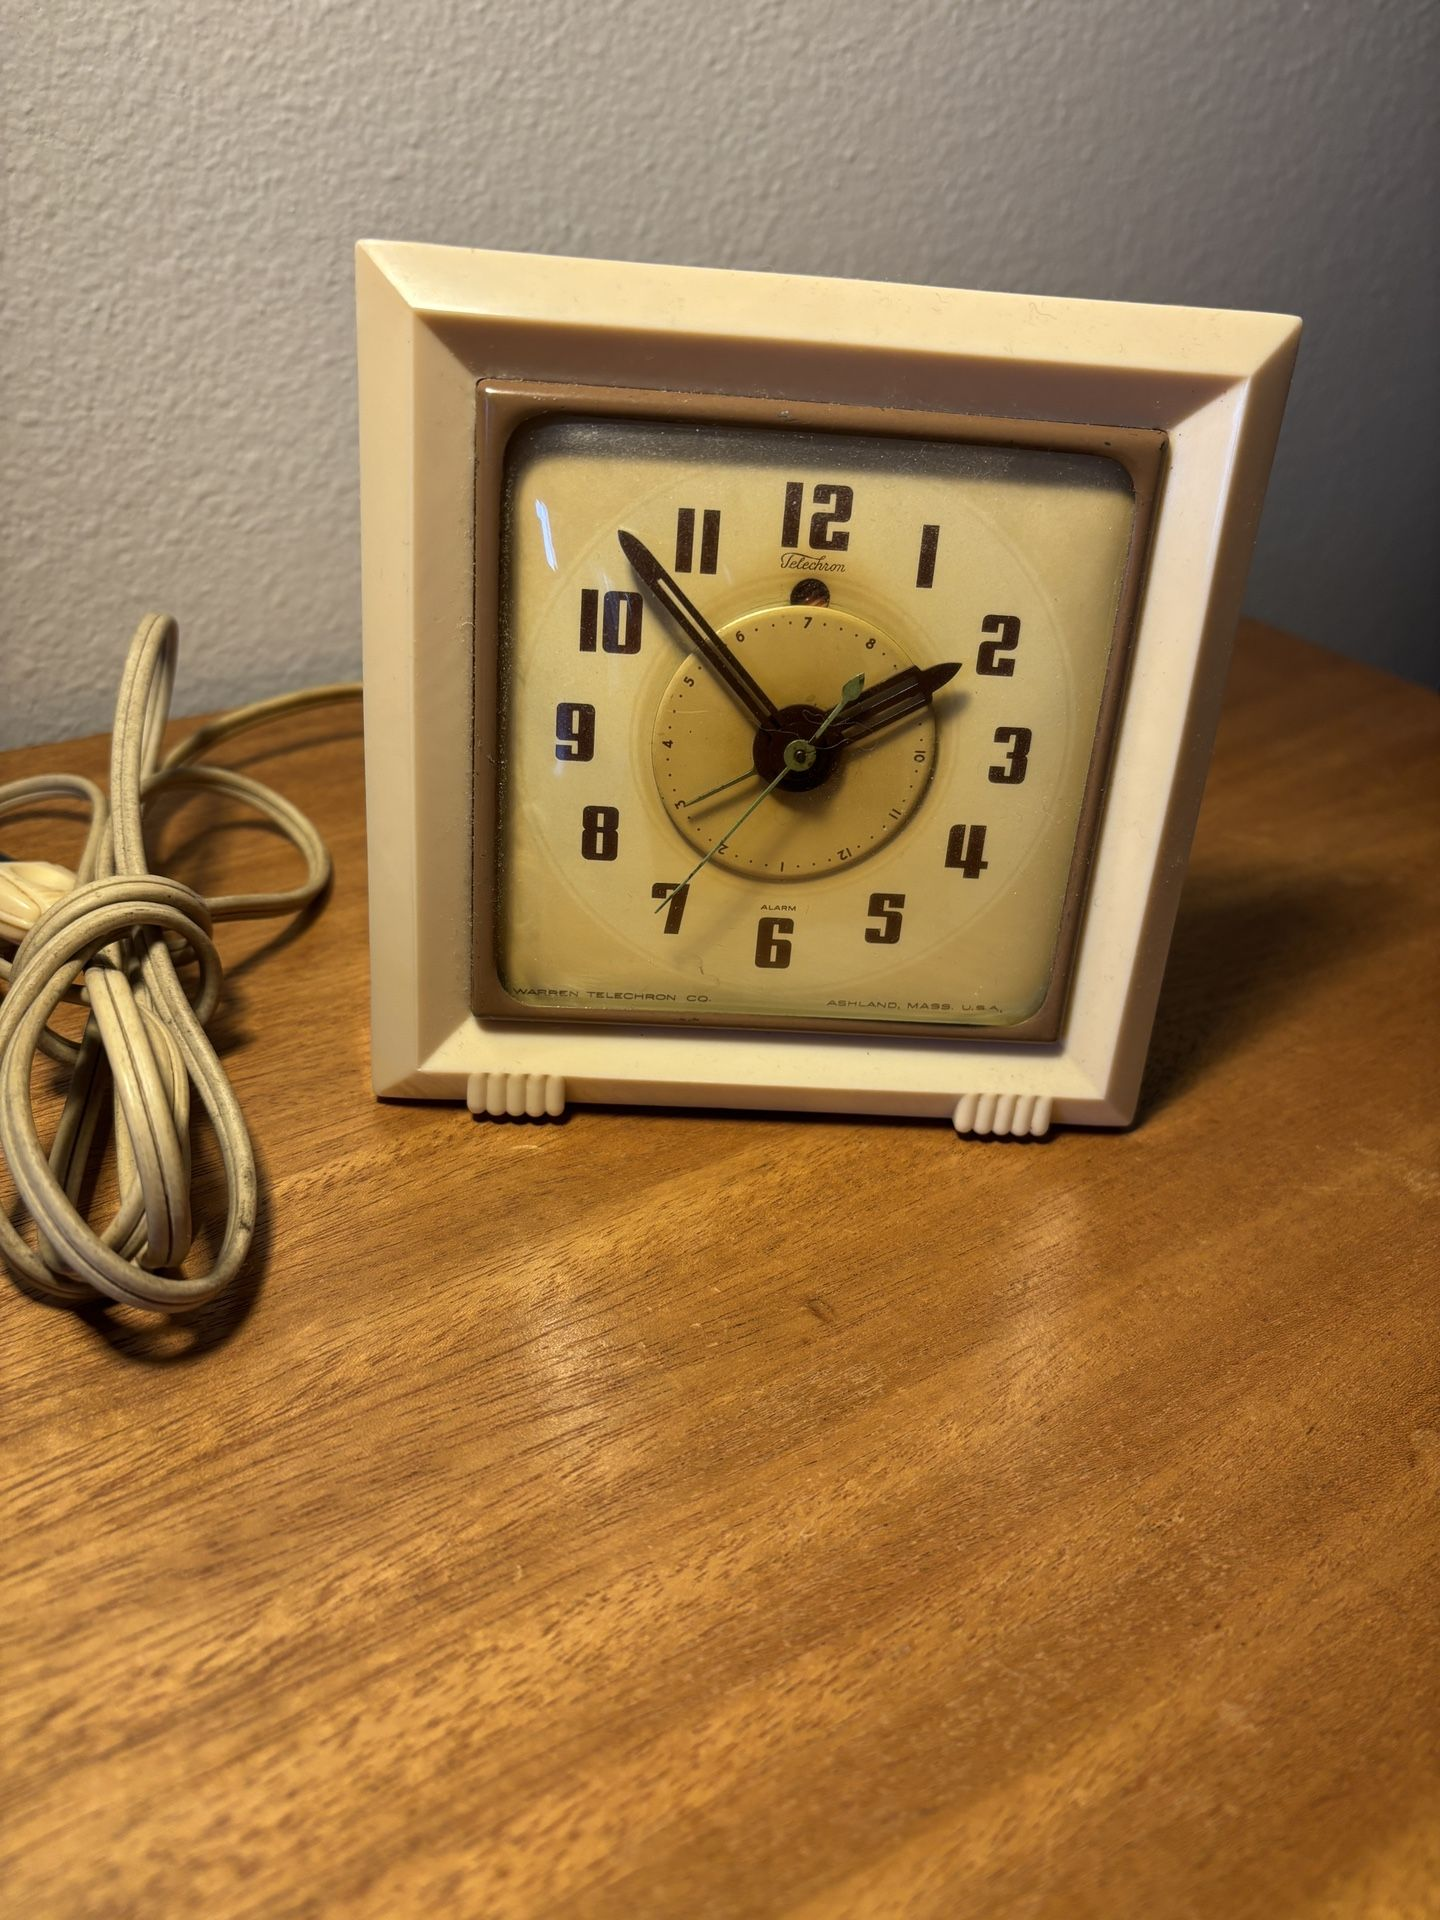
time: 1:52
